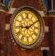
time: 9:10
